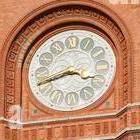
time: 3:41
